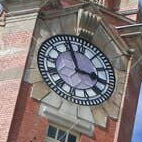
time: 2:56
